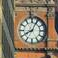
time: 8:04
